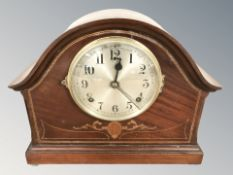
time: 12:22
